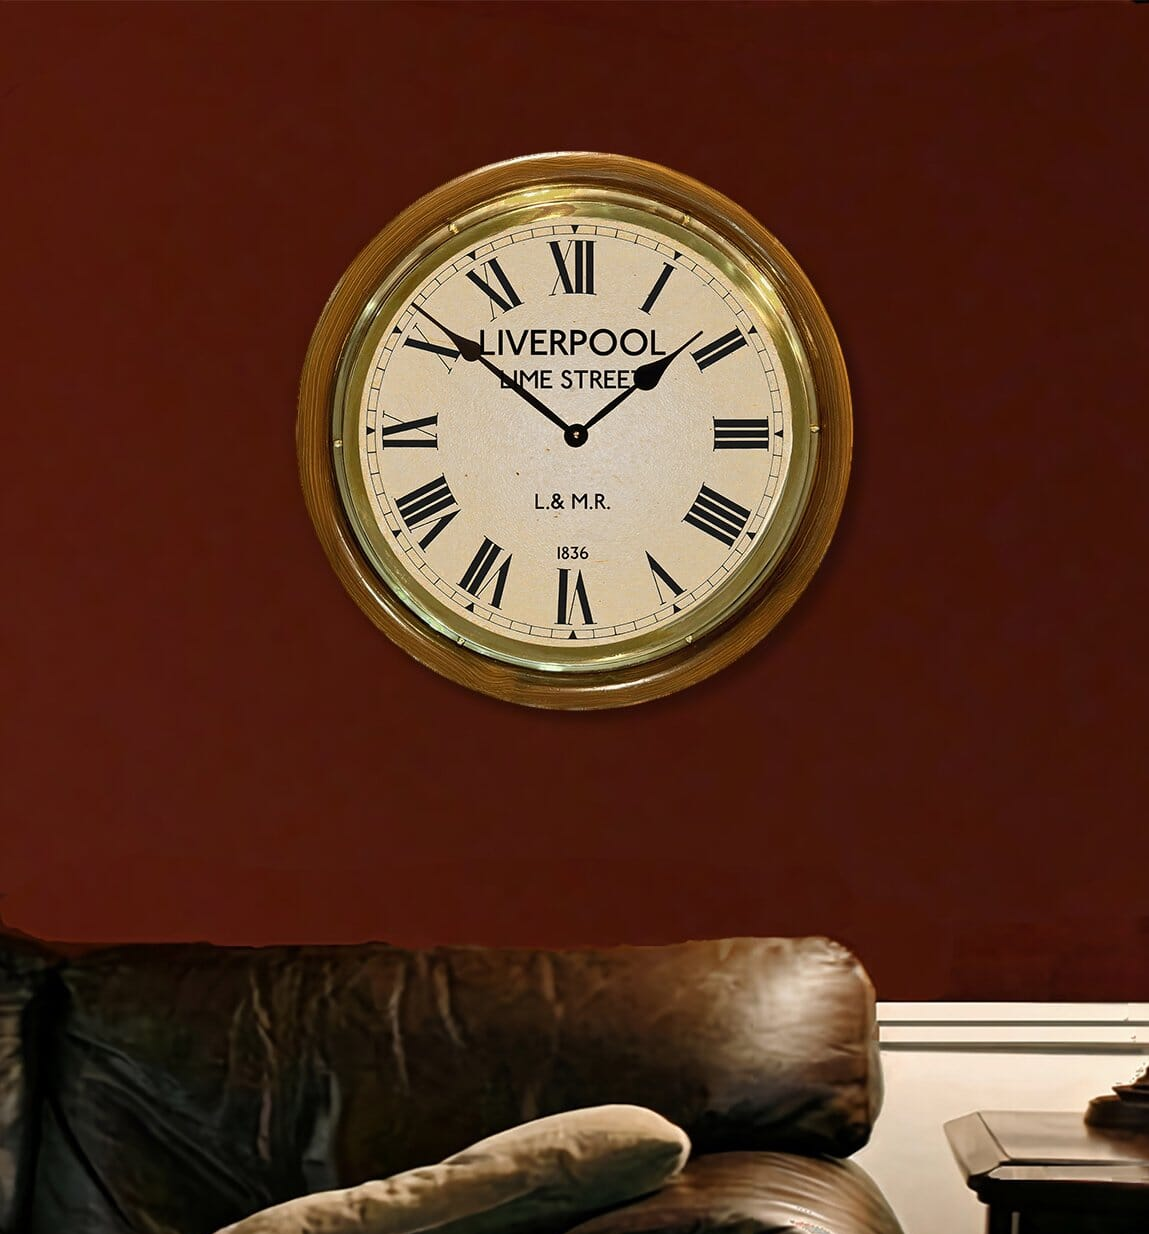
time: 1:51
